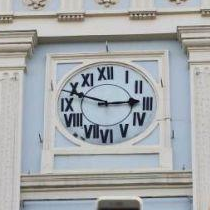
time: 2:48
